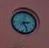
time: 2:24
